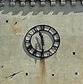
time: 11:30
